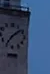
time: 7:08
